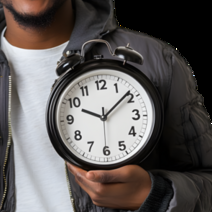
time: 10:08
